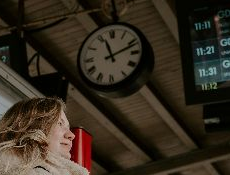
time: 11:11
